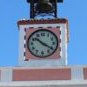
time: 10:20
